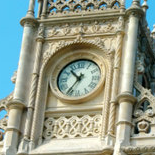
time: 10:35
